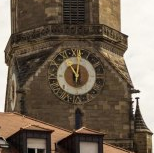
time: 11:02
